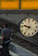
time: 9:36
